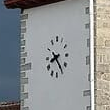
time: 8:24
